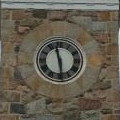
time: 11:28
